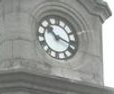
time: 10:17
